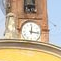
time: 12:16
